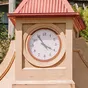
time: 3:54
